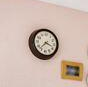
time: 3:37
